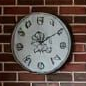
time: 12:09
